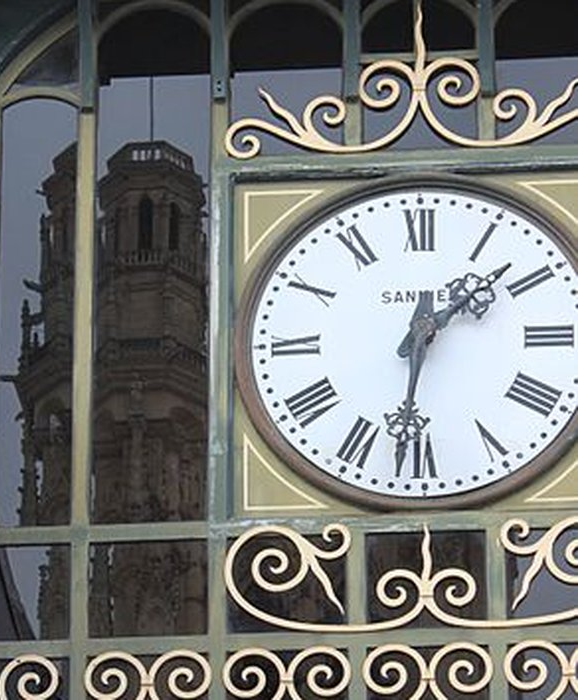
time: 1:31
